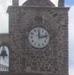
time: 12:12
